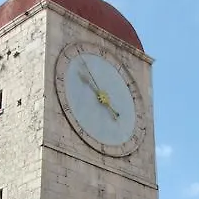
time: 9:53
